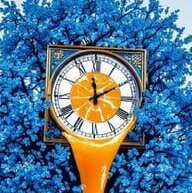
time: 12:10
